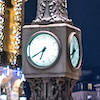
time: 6:40
